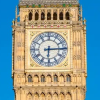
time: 6:14
